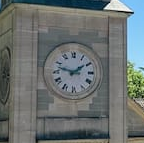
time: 1:47
